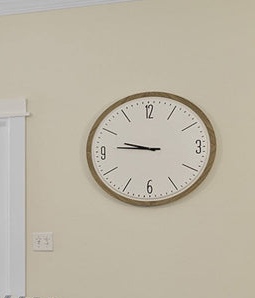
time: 9:46
